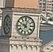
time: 10:02
